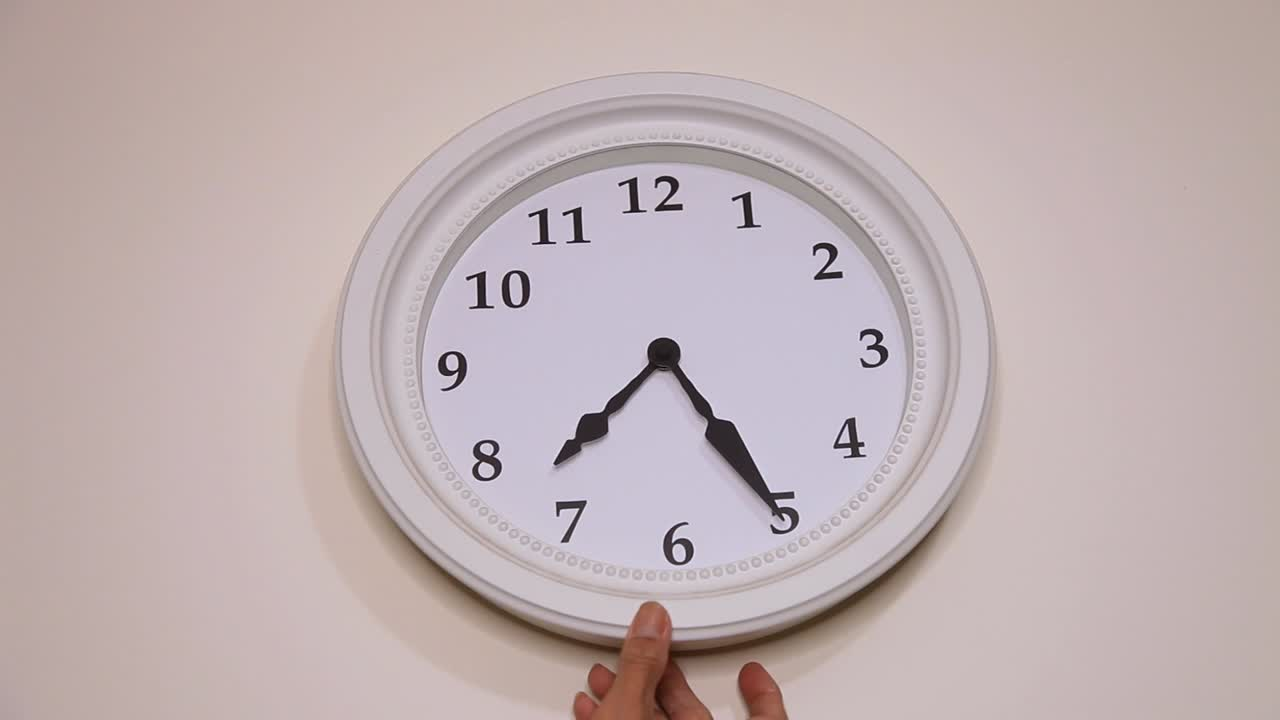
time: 7:25
